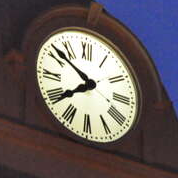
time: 7:51
